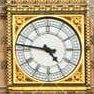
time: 4:46
